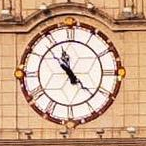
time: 11:22
